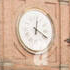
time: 12:19
